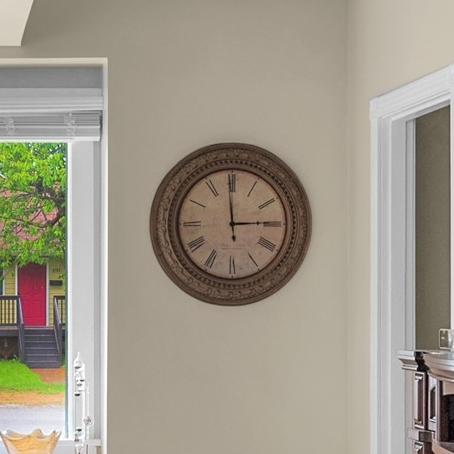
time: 2:59
